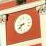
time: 8:38
